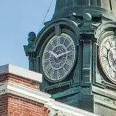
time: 10:12
